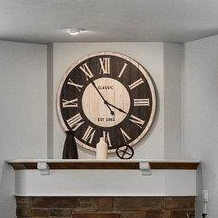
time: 3:54
